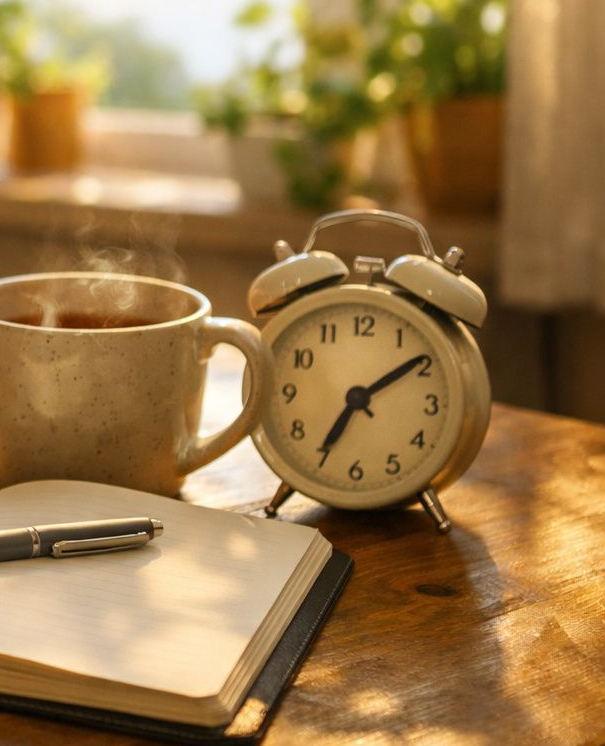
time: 7:09
